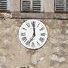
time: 7:00
